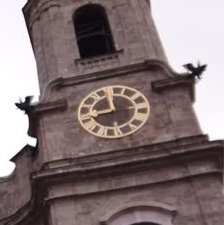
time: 11:42
